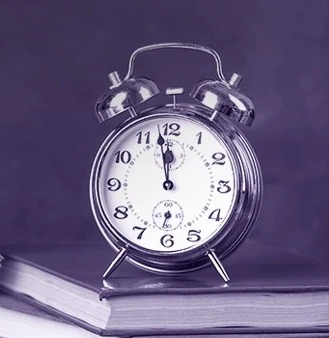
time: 11:58
